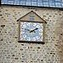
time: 1:47
